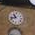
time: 10:42
